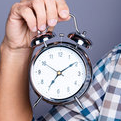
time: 7:09
